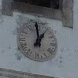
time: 12:58
